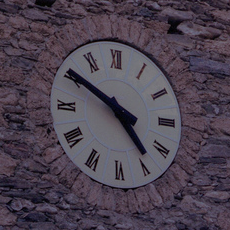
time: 4:50
